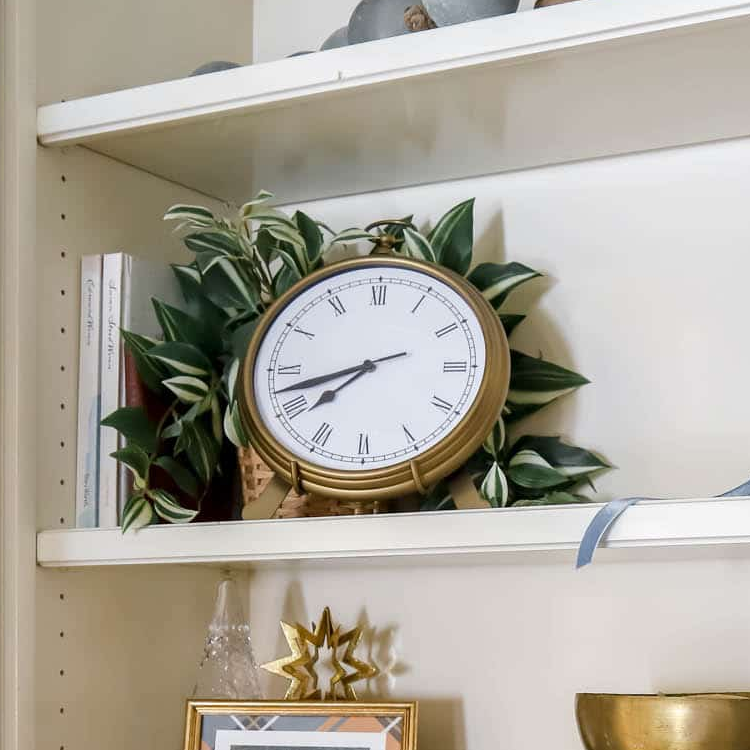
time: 7:42
